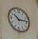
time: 10:13
